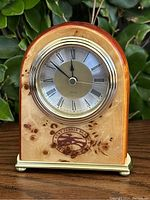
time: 11:51
